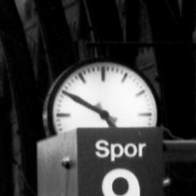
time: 4:50
